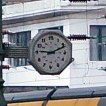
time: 9:11
